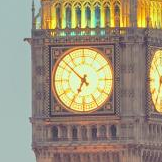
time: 6:52
